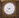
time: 9:38
